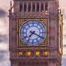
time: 7:19
